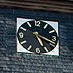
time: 5:18
